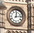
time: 12:13
